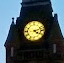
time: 4:12
